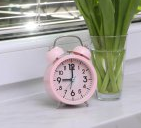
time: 9:00
